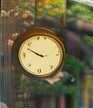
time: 9:50
